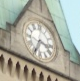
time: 3:34
